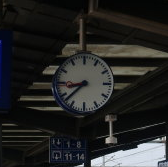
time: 8:38
